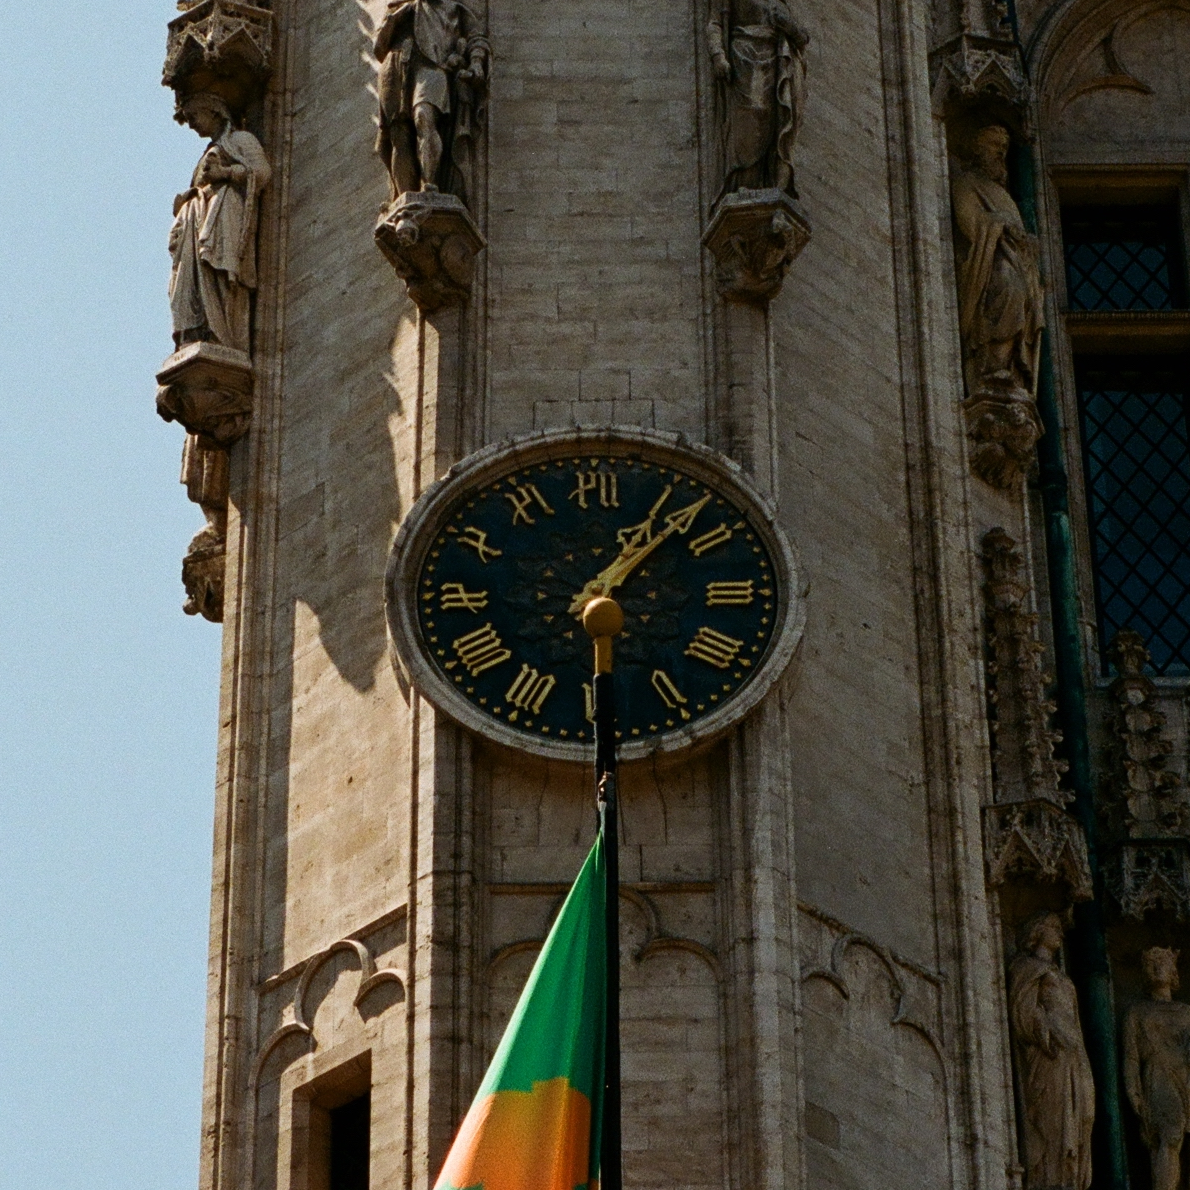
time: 1:07
